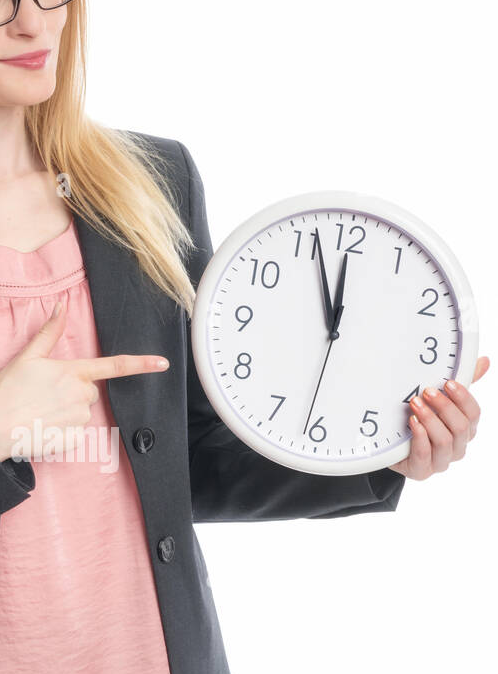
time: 11:56
